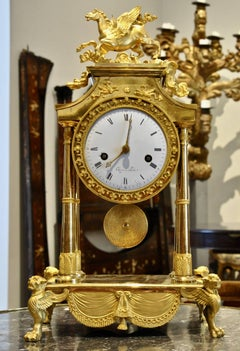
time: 8:01
